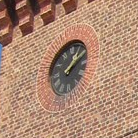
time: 1:08
